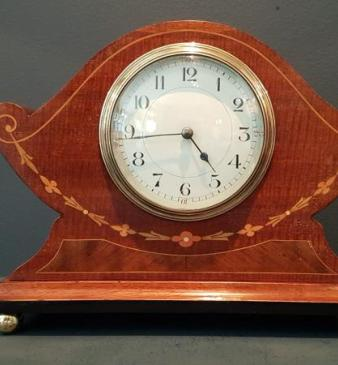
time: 4:43
